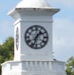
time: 1:33
